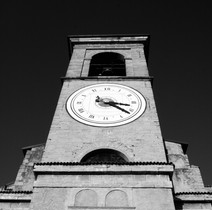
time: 3:21
